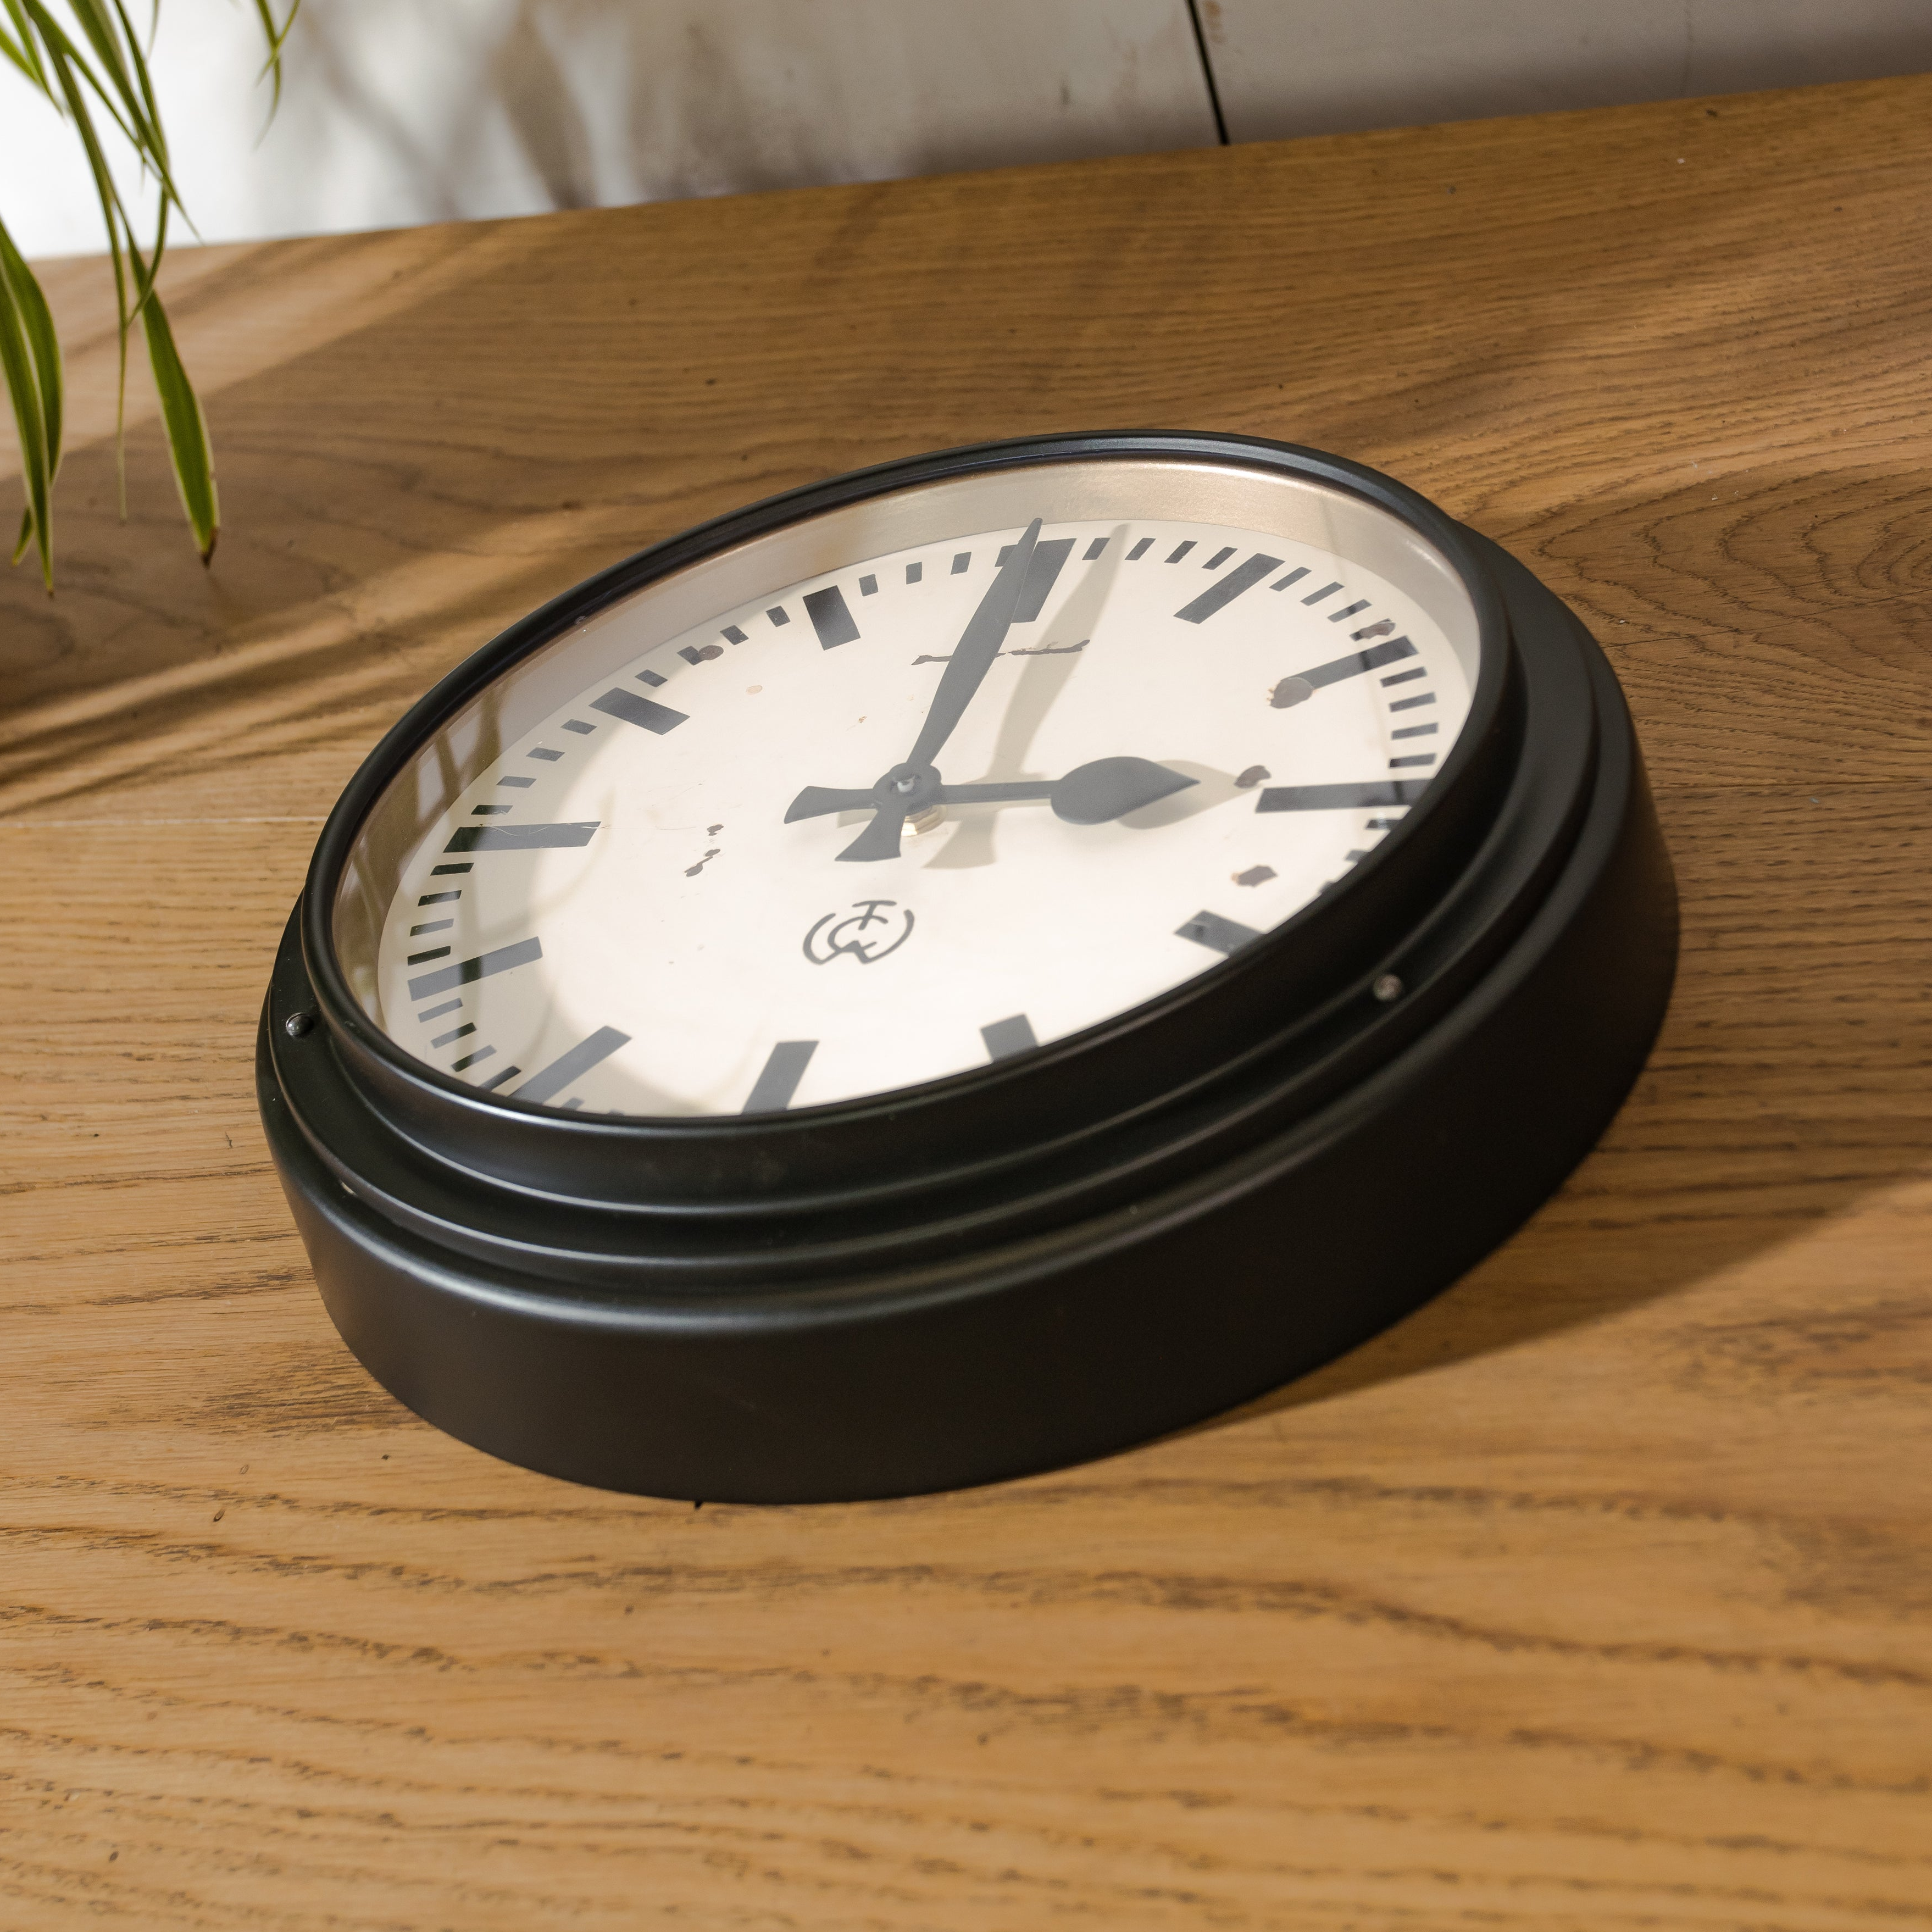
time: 3:00
